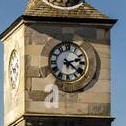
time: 2:21
